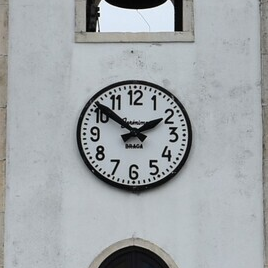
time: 1:51
